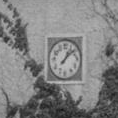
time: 1:08
